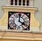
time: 4:00
